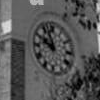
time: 9:56
